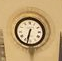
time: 6:32
